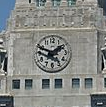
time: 1:48
